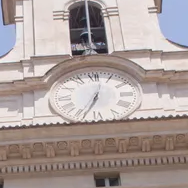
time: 12:33
